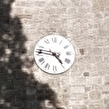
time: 4:46
